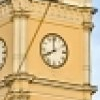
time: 7:59
